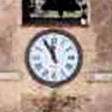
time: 11:55
